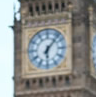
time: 6:06
